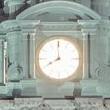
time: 7:59
